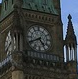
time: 4:40
